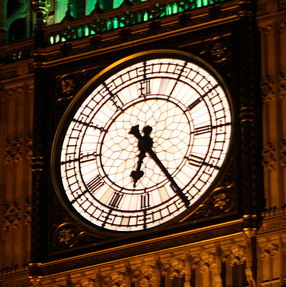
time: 6:24
